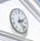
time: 2:23
